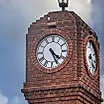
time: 4:26
